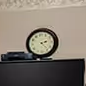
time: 2:23
